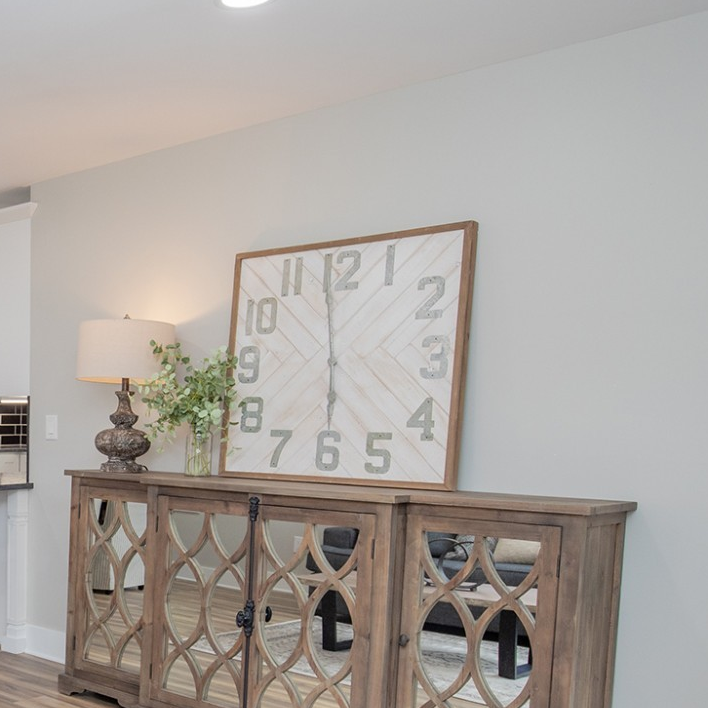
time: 5:58
